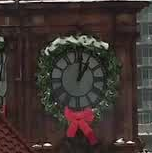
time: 1:01
